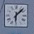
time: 6:07
